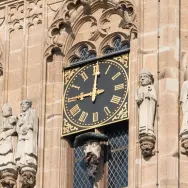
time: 9:00
